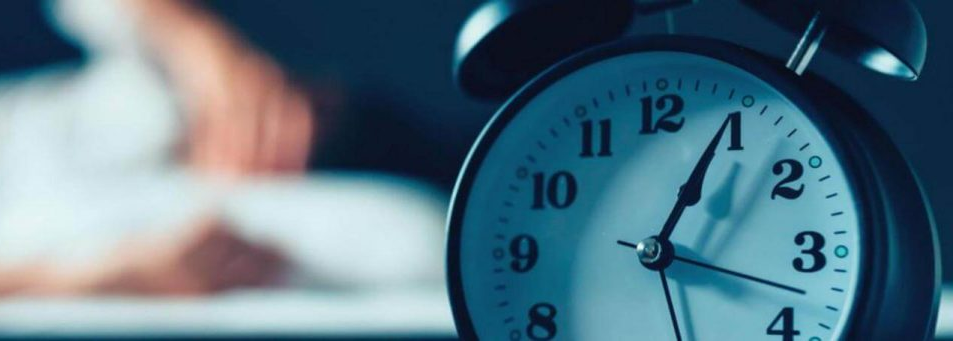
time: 1:04
